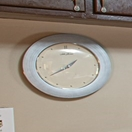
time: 1:40
